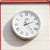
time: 2:24
